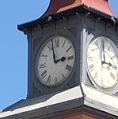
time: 2:57
